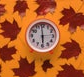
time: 5:59
